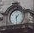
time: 1:29
